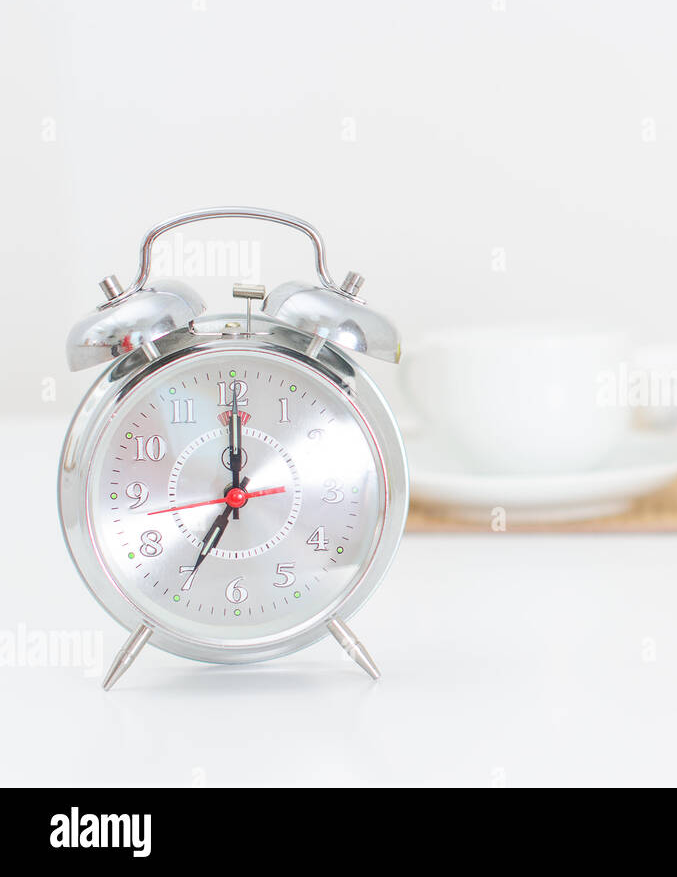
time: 7:00
